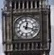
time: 12:17
